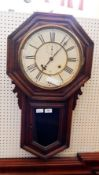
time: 7:07
